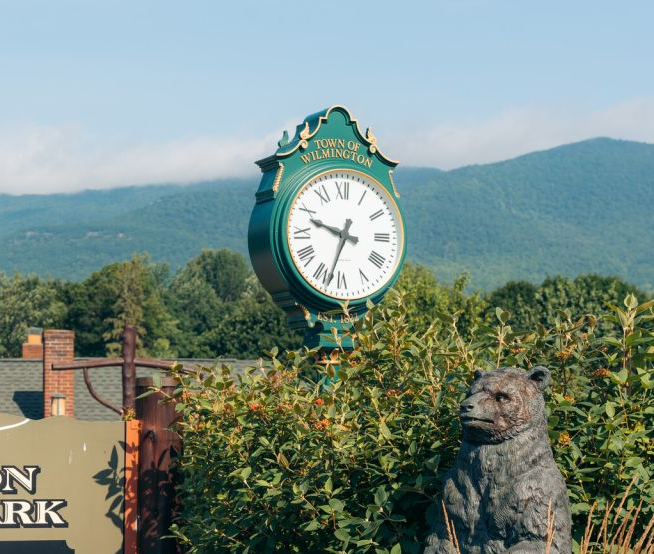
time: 9:33
